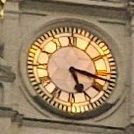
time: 5:16
